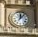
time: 12:06
